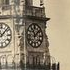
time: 11:07
